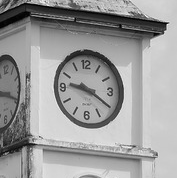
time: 9:20
